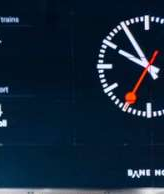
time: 9:54
